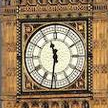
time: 11:31
